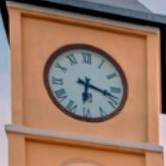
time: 6:17
